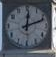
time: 12:11
